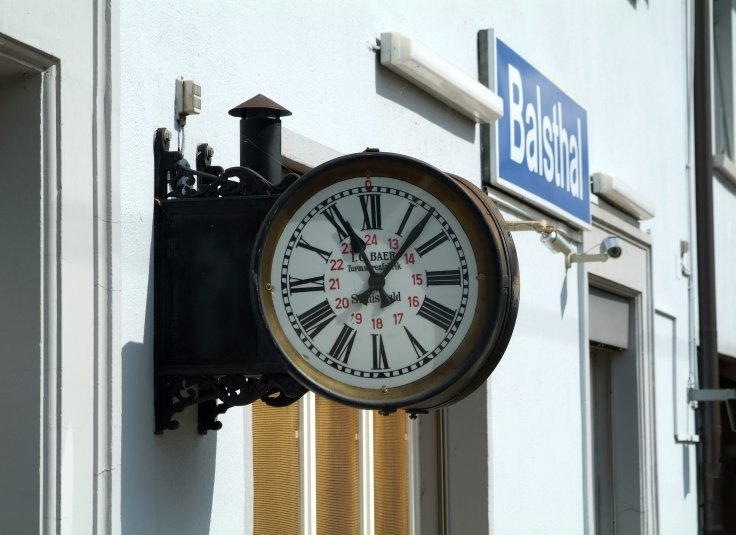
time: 11:07
